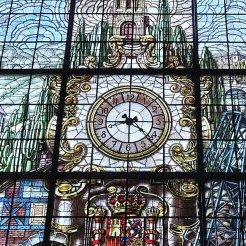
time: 8:22
